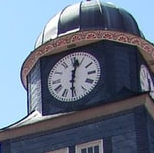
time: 12:30
